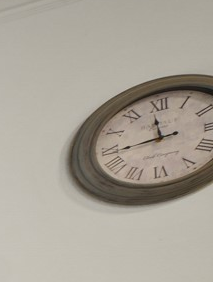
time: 11:43
